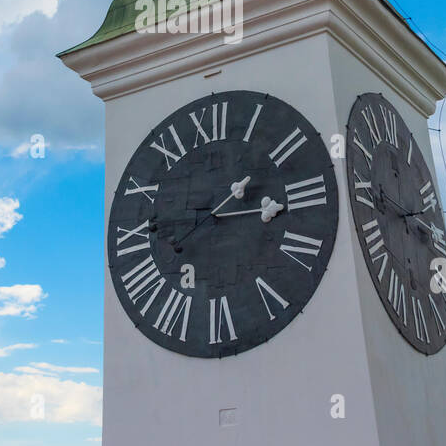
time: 2:16
